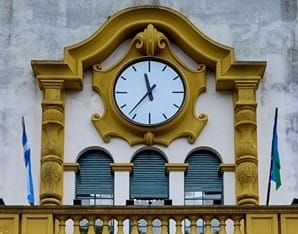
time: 11:36
